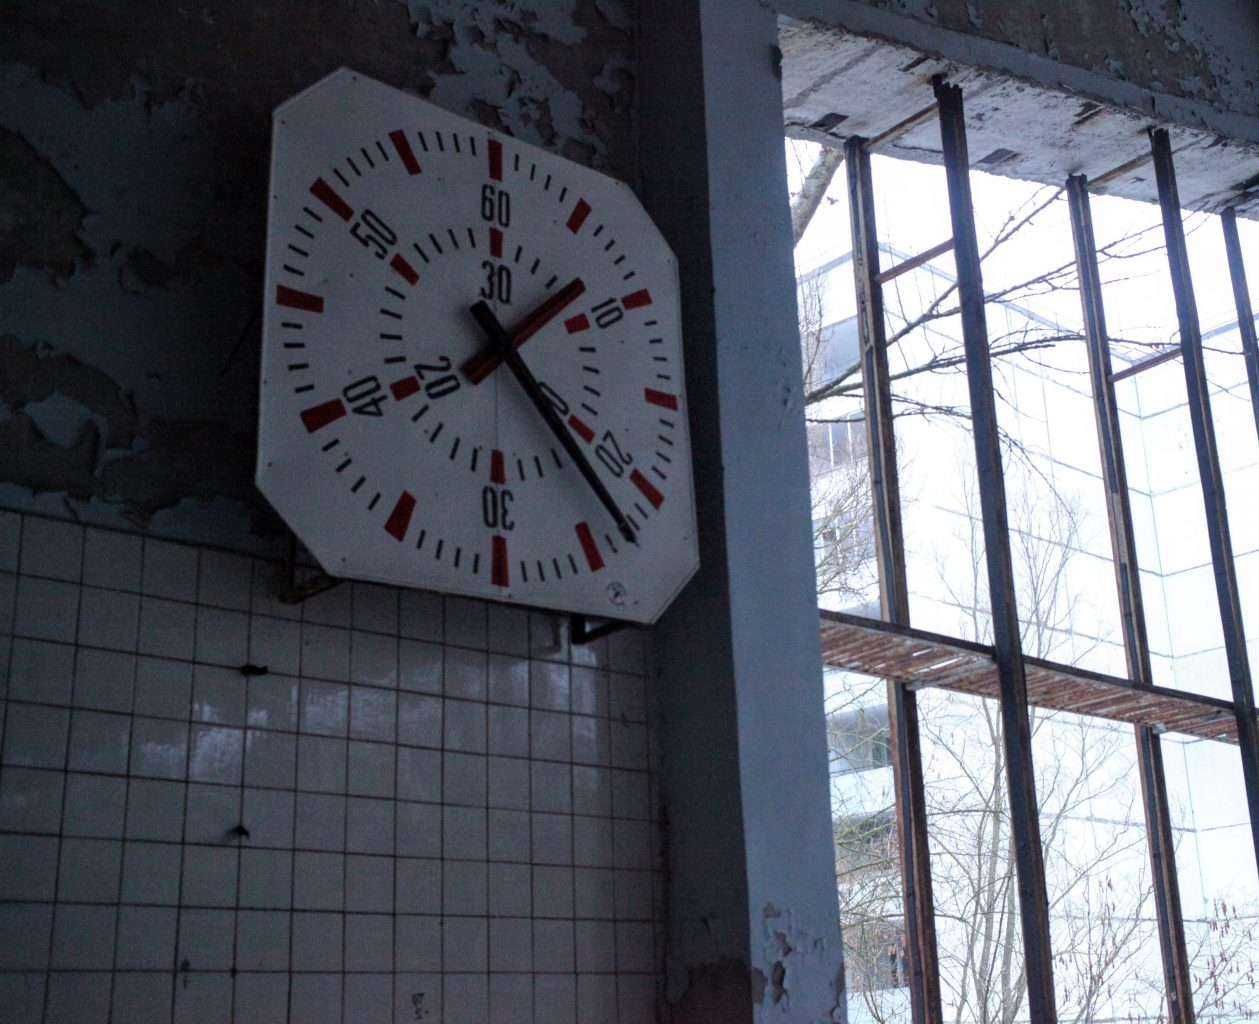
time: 1:22
